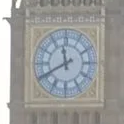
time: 11:40
